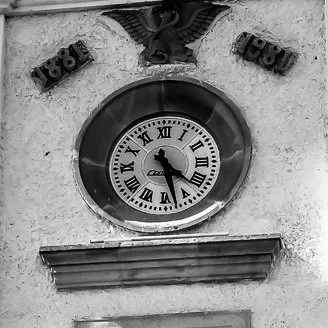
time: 4:27
